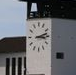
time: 3:12
